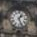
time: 1:26
